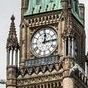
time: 12:13
